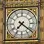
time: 7:21
